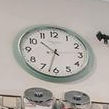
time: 10:32
